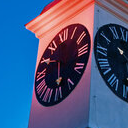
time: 5:49
